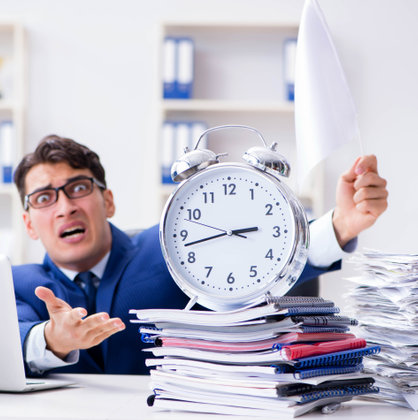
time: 2:42
